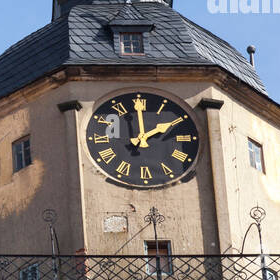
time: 1:59
